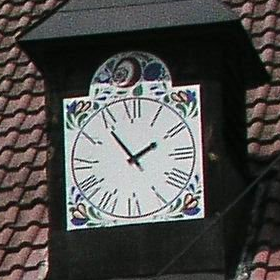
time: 1:53
